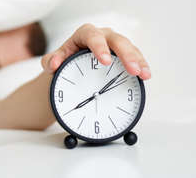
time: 8:08
